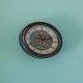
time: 11:12
